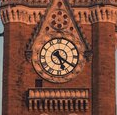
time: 5:20
